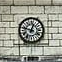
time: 12:47
